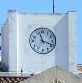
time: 11:18
